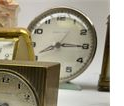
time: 8:15
